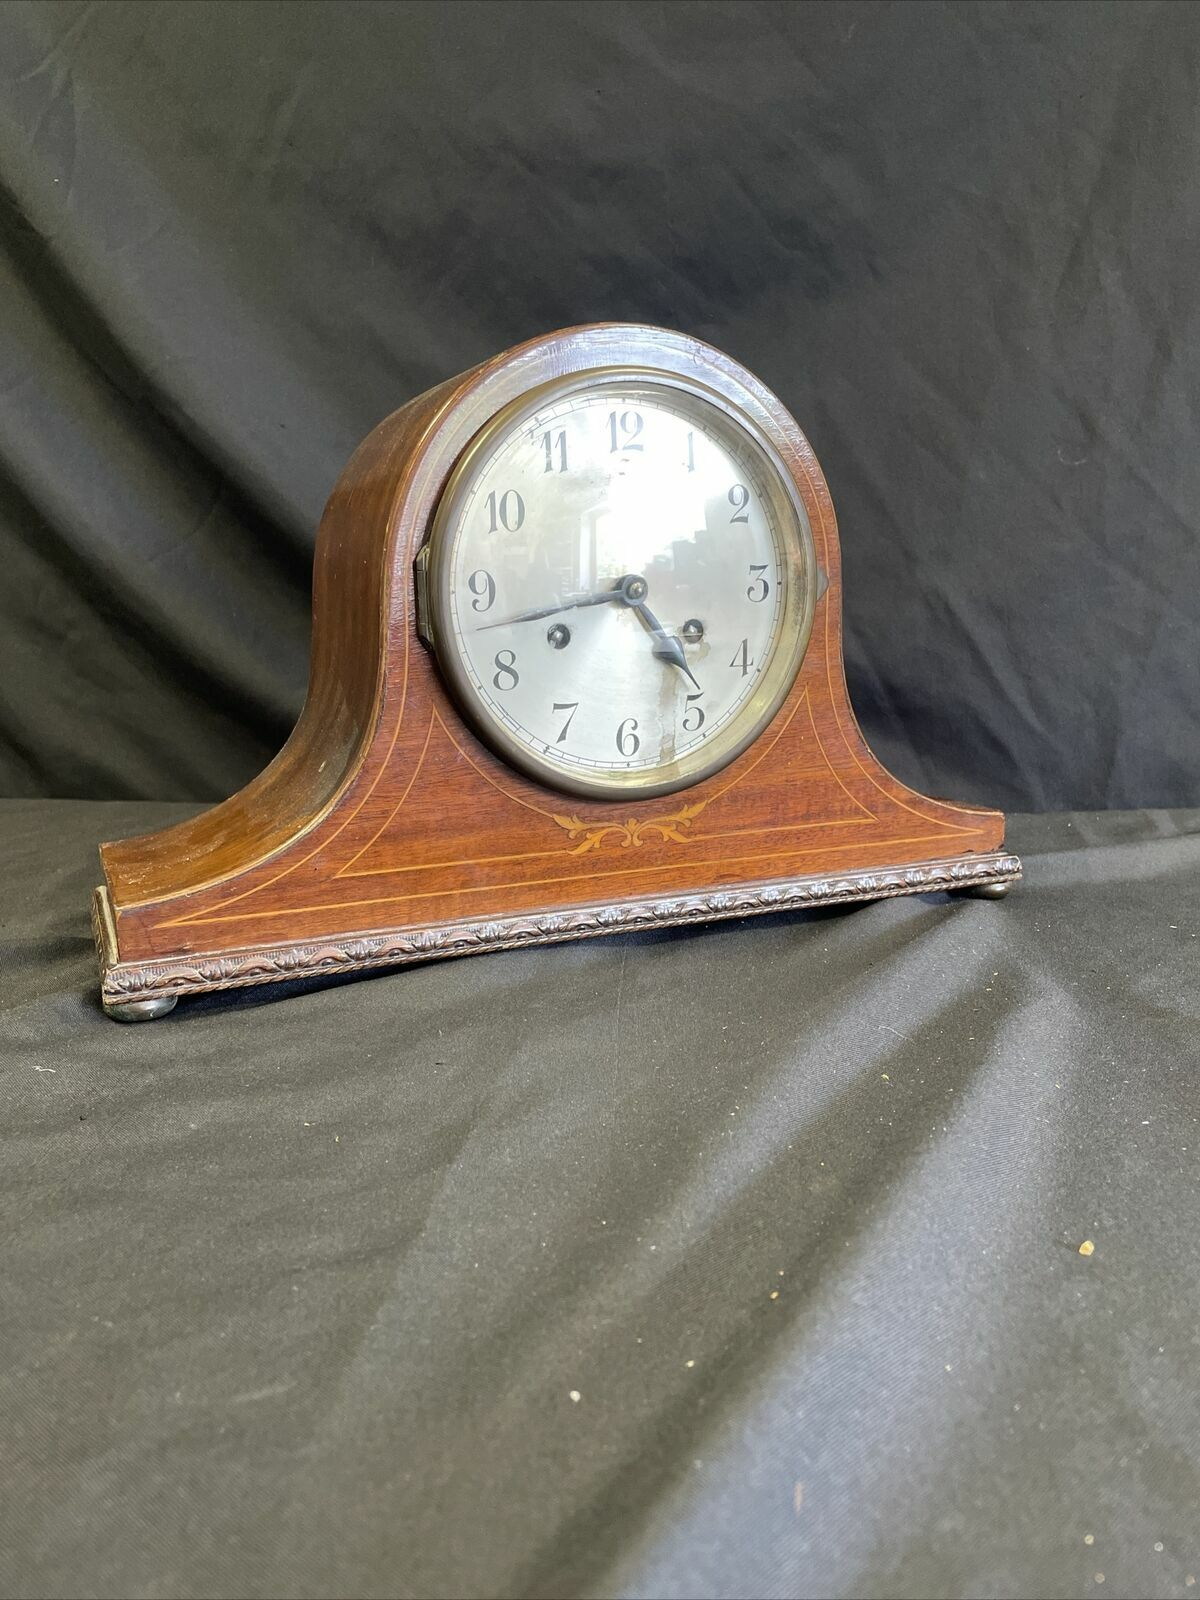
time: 4:42
